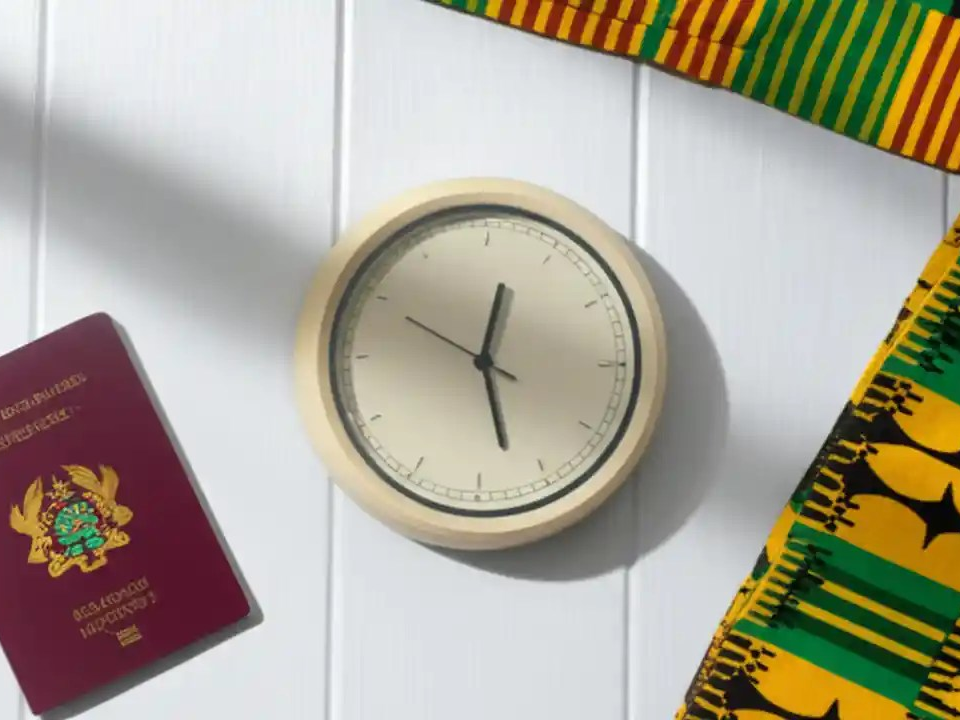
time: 12:27
